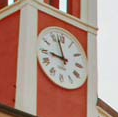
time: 8:57
